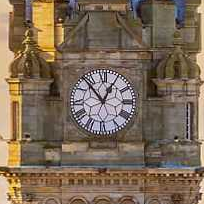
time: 12:53
